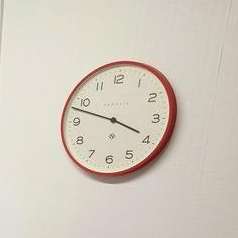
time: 3:48
